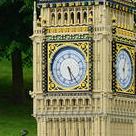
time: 5:24
